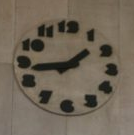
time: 1:43
